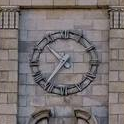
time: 10:36
